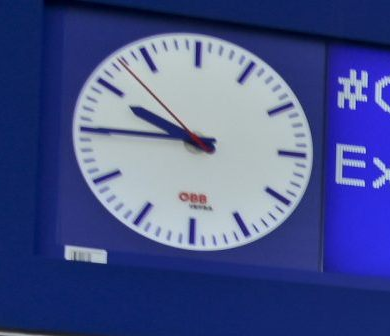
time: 9:45
